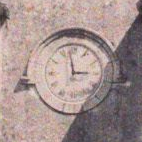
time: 2:58
